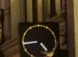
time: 4:44
